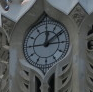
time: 12:09
